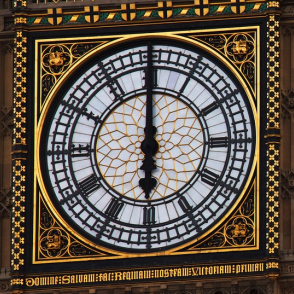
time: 5:59
